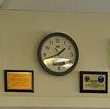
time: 1:42
